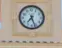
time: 7:26
